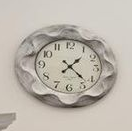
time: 1:22
